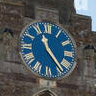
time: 11:23
